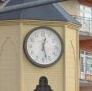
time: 12:27
